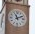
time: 11:10
